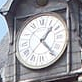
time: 1:23
